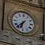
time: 6:37
